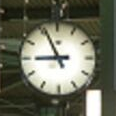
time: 8:56
